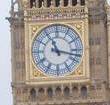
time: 11:17
